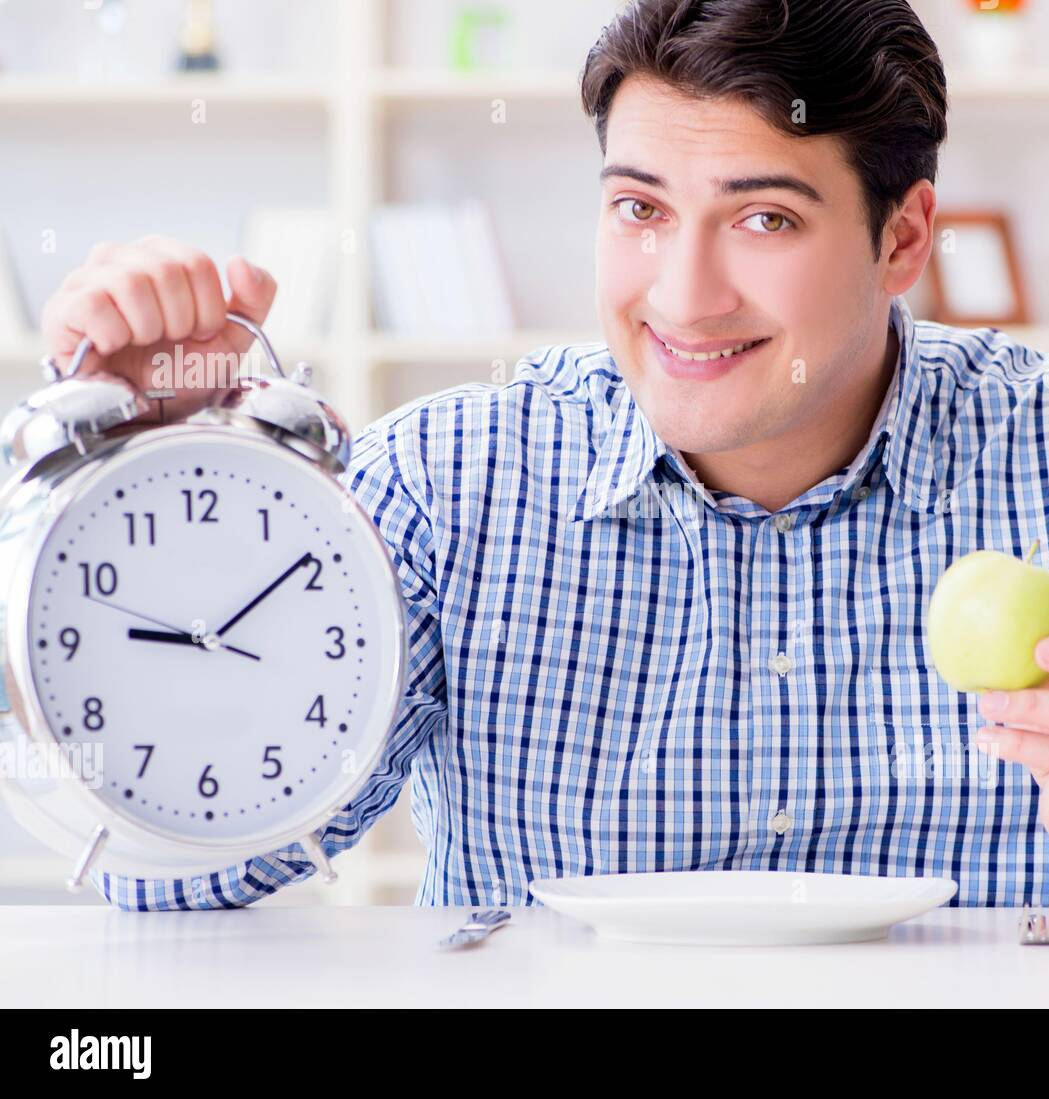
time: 9:09
